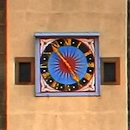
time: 4:52
